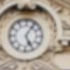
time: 5:05
